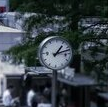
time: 1:12
